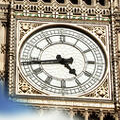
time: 4:43
